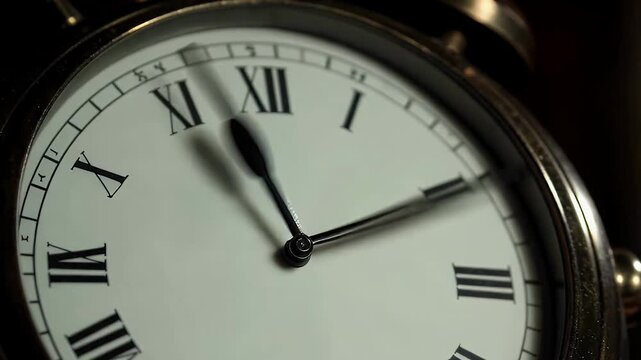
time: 11:10
